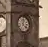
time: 12:22
